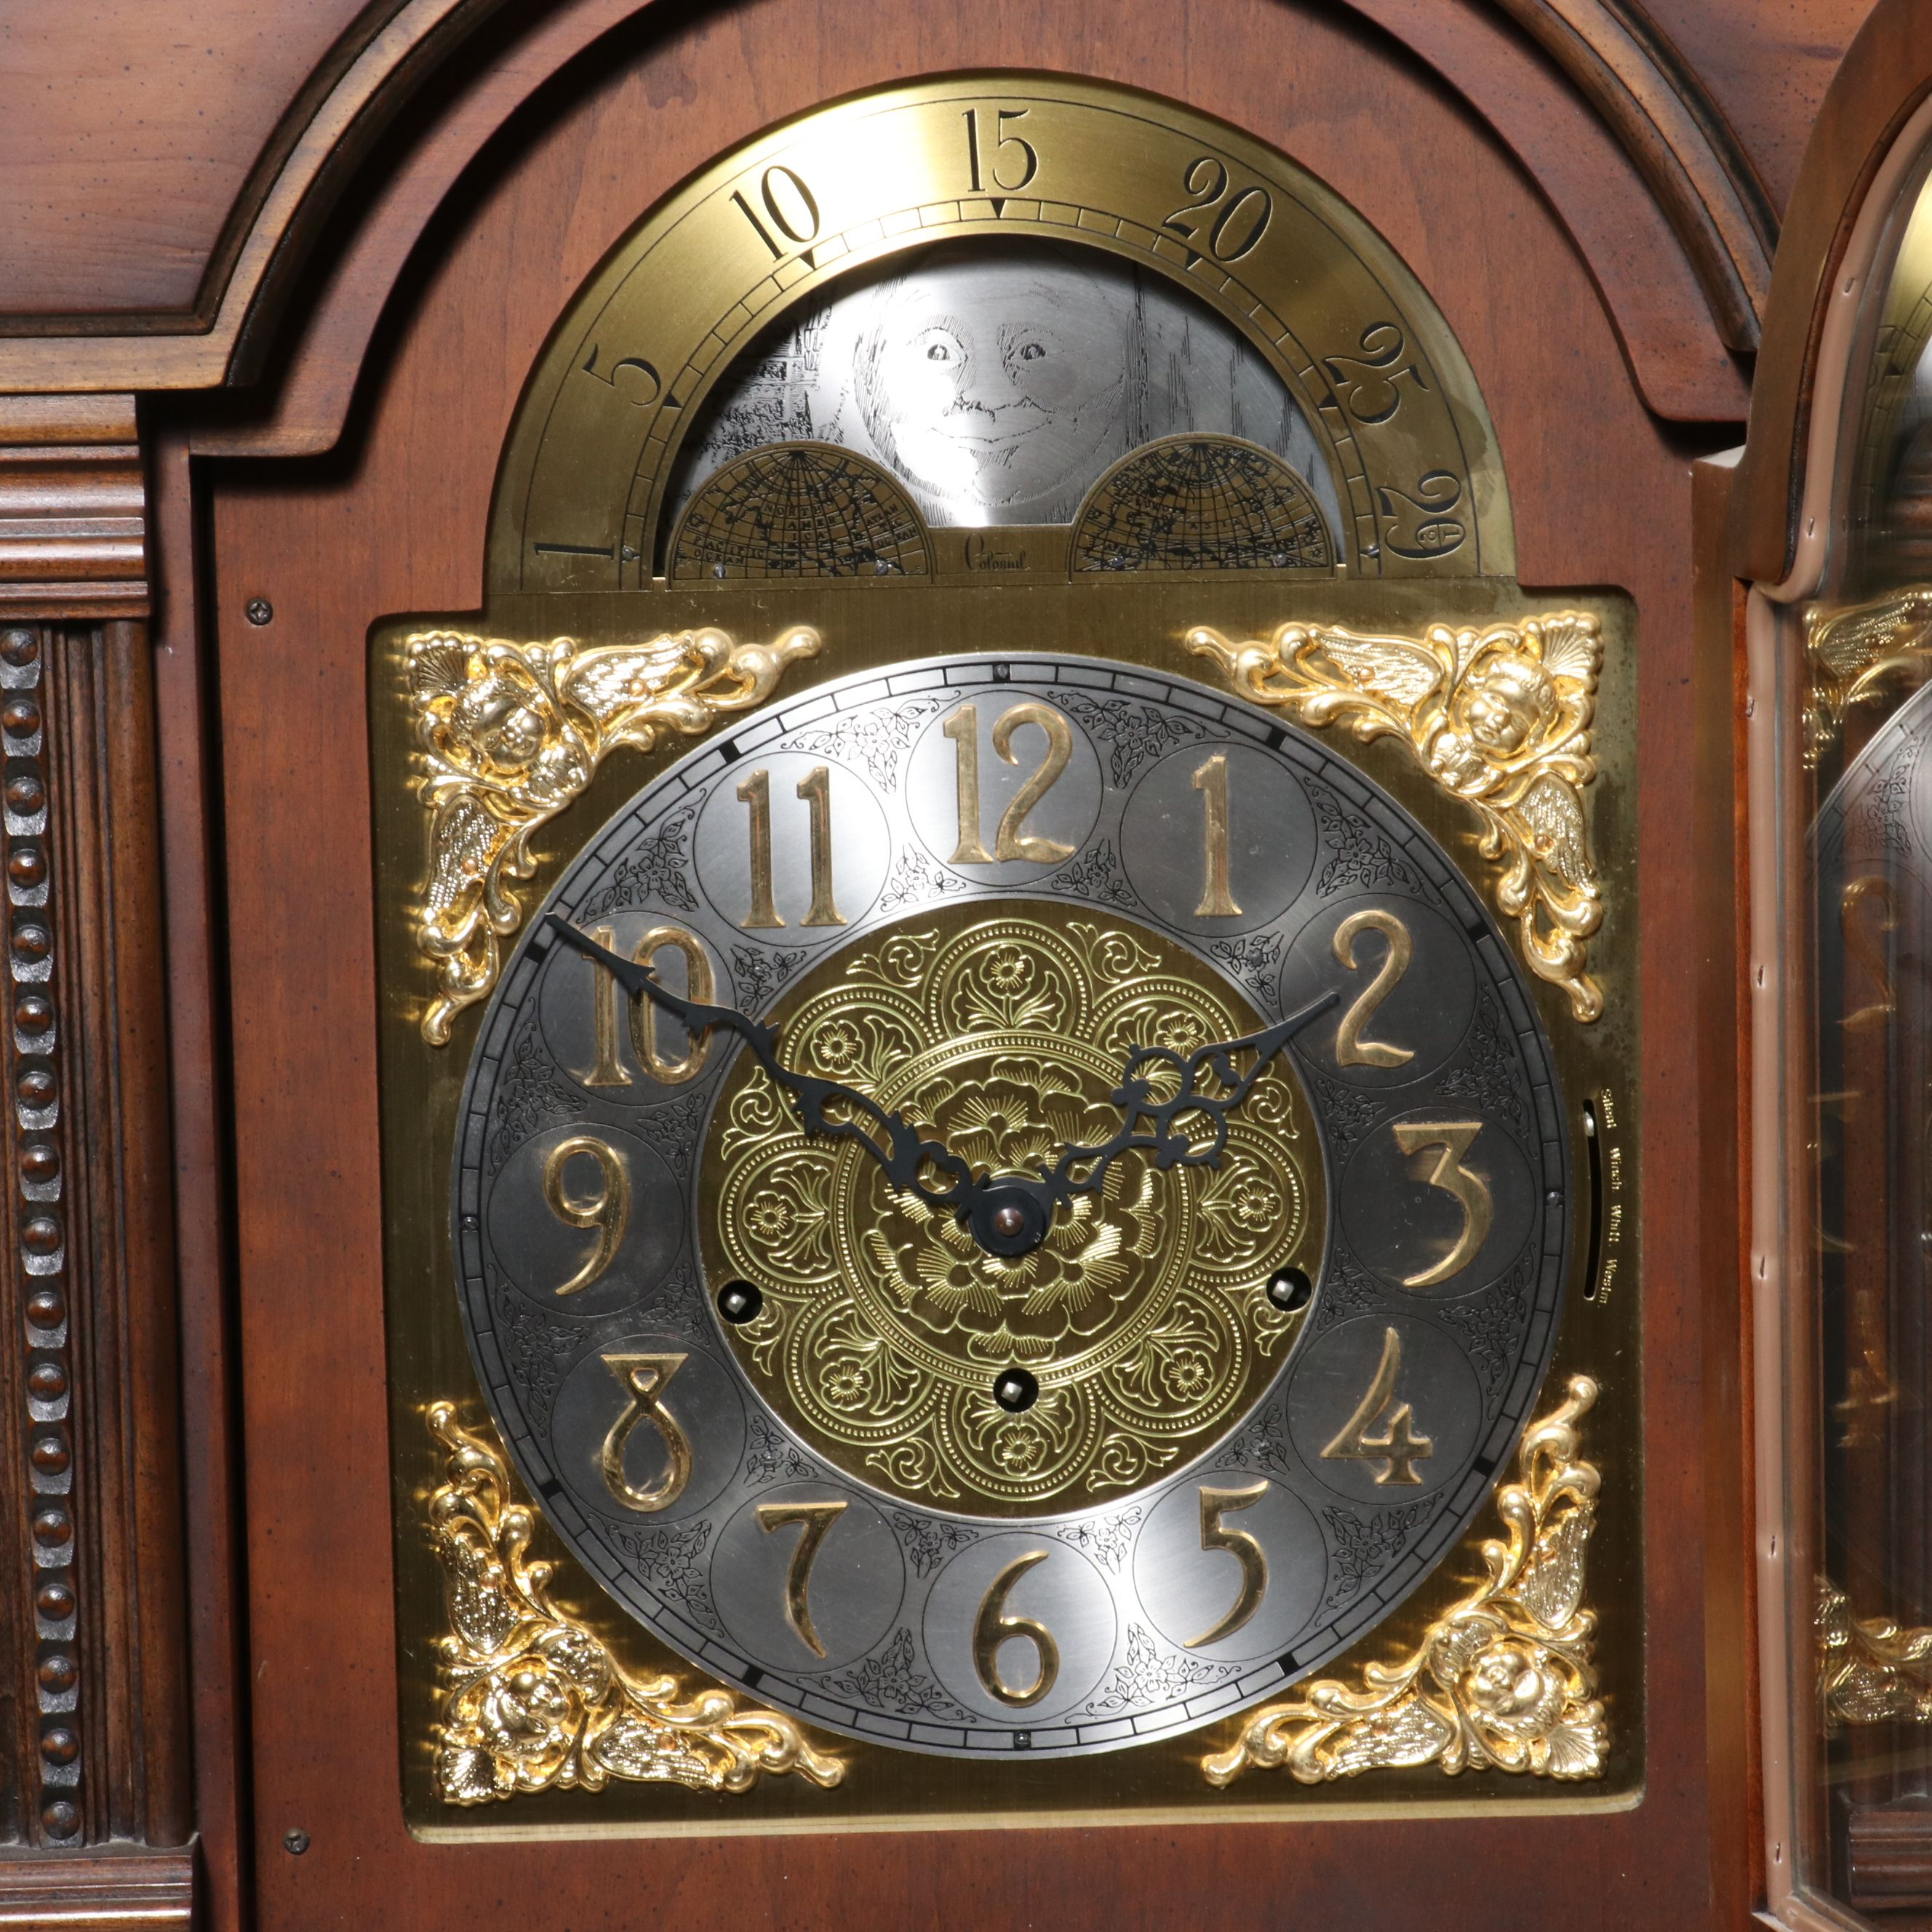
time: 9:50
